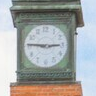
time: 2:46
